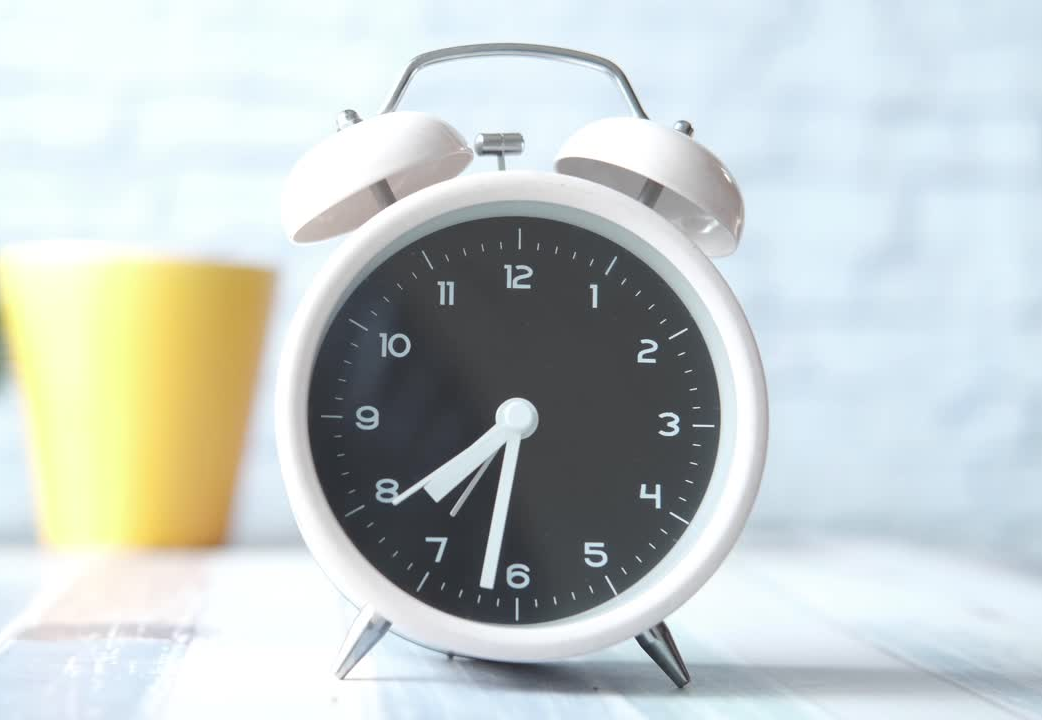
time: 7:31
